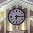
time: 6:15
